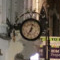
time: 7:03
